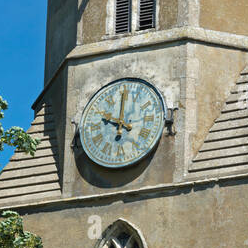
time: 10:00
